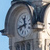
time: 11:42
